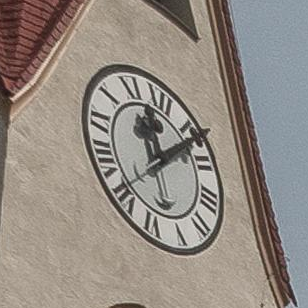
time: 12:11
